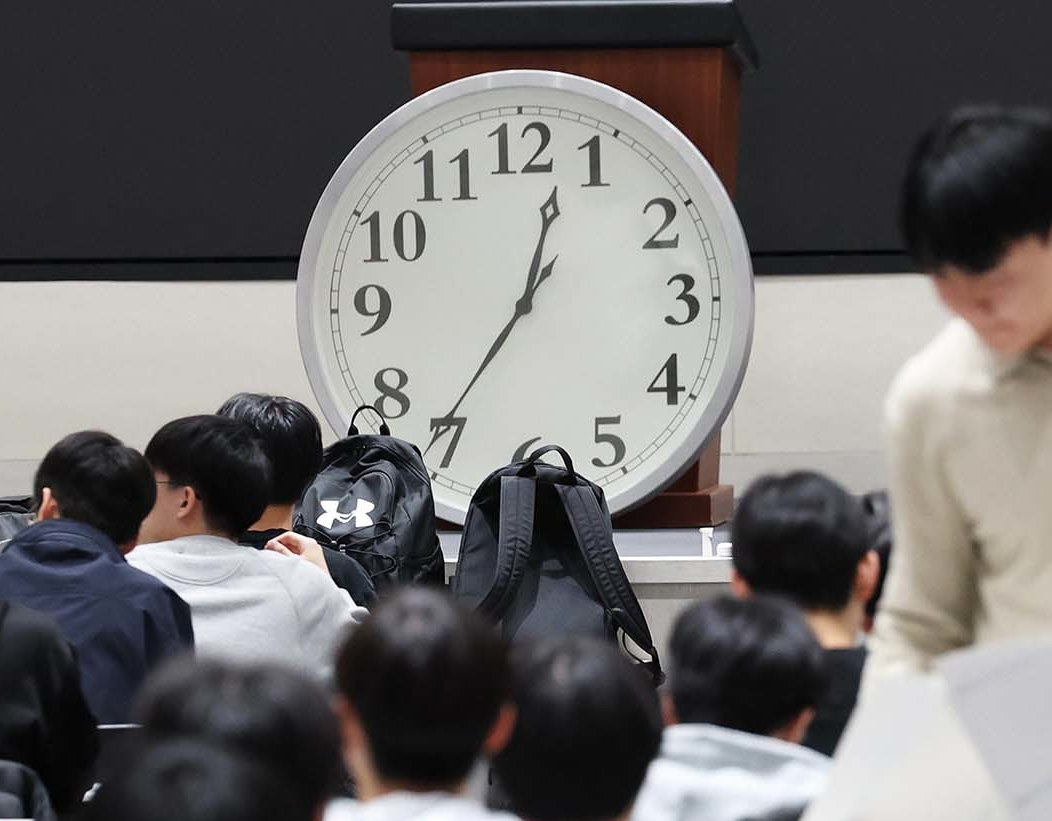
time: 12:36
